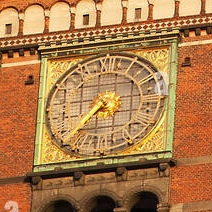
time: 7:37
